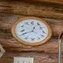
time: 12:40
